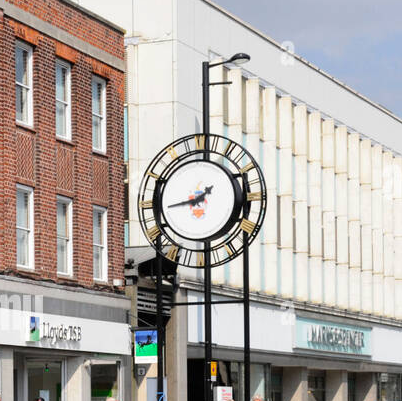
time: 1:43
